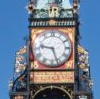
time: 9:26
